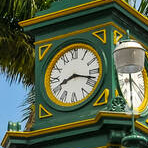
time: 8:17
